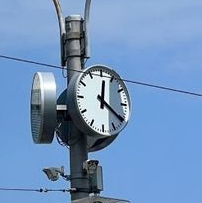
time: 12:20
